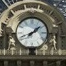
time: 1:41
